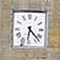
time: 6:22
